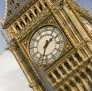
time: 1:32
